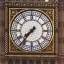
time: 7:36
